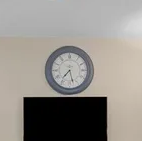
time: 7:27
